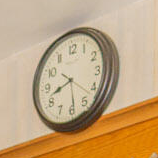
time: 8:21
